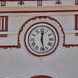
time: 12:28
